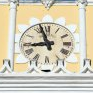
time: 8:56
